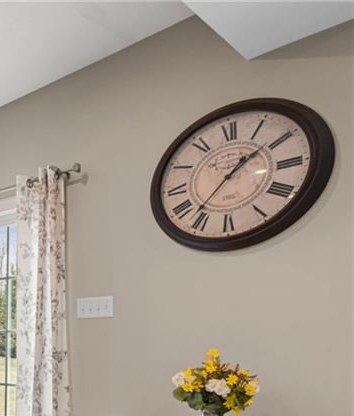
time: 1:36
